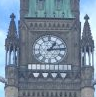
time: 1:13
